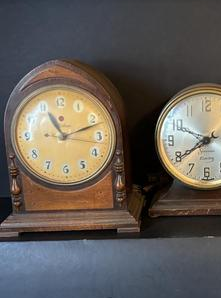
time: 11:11
